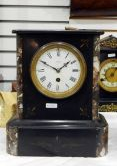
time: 1:50
